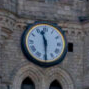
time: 11:29
